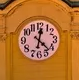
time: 12:22
